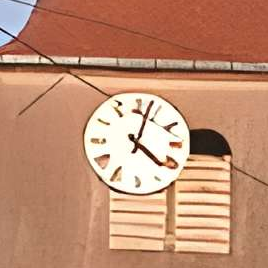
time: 4:03
